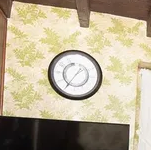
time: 1:35
